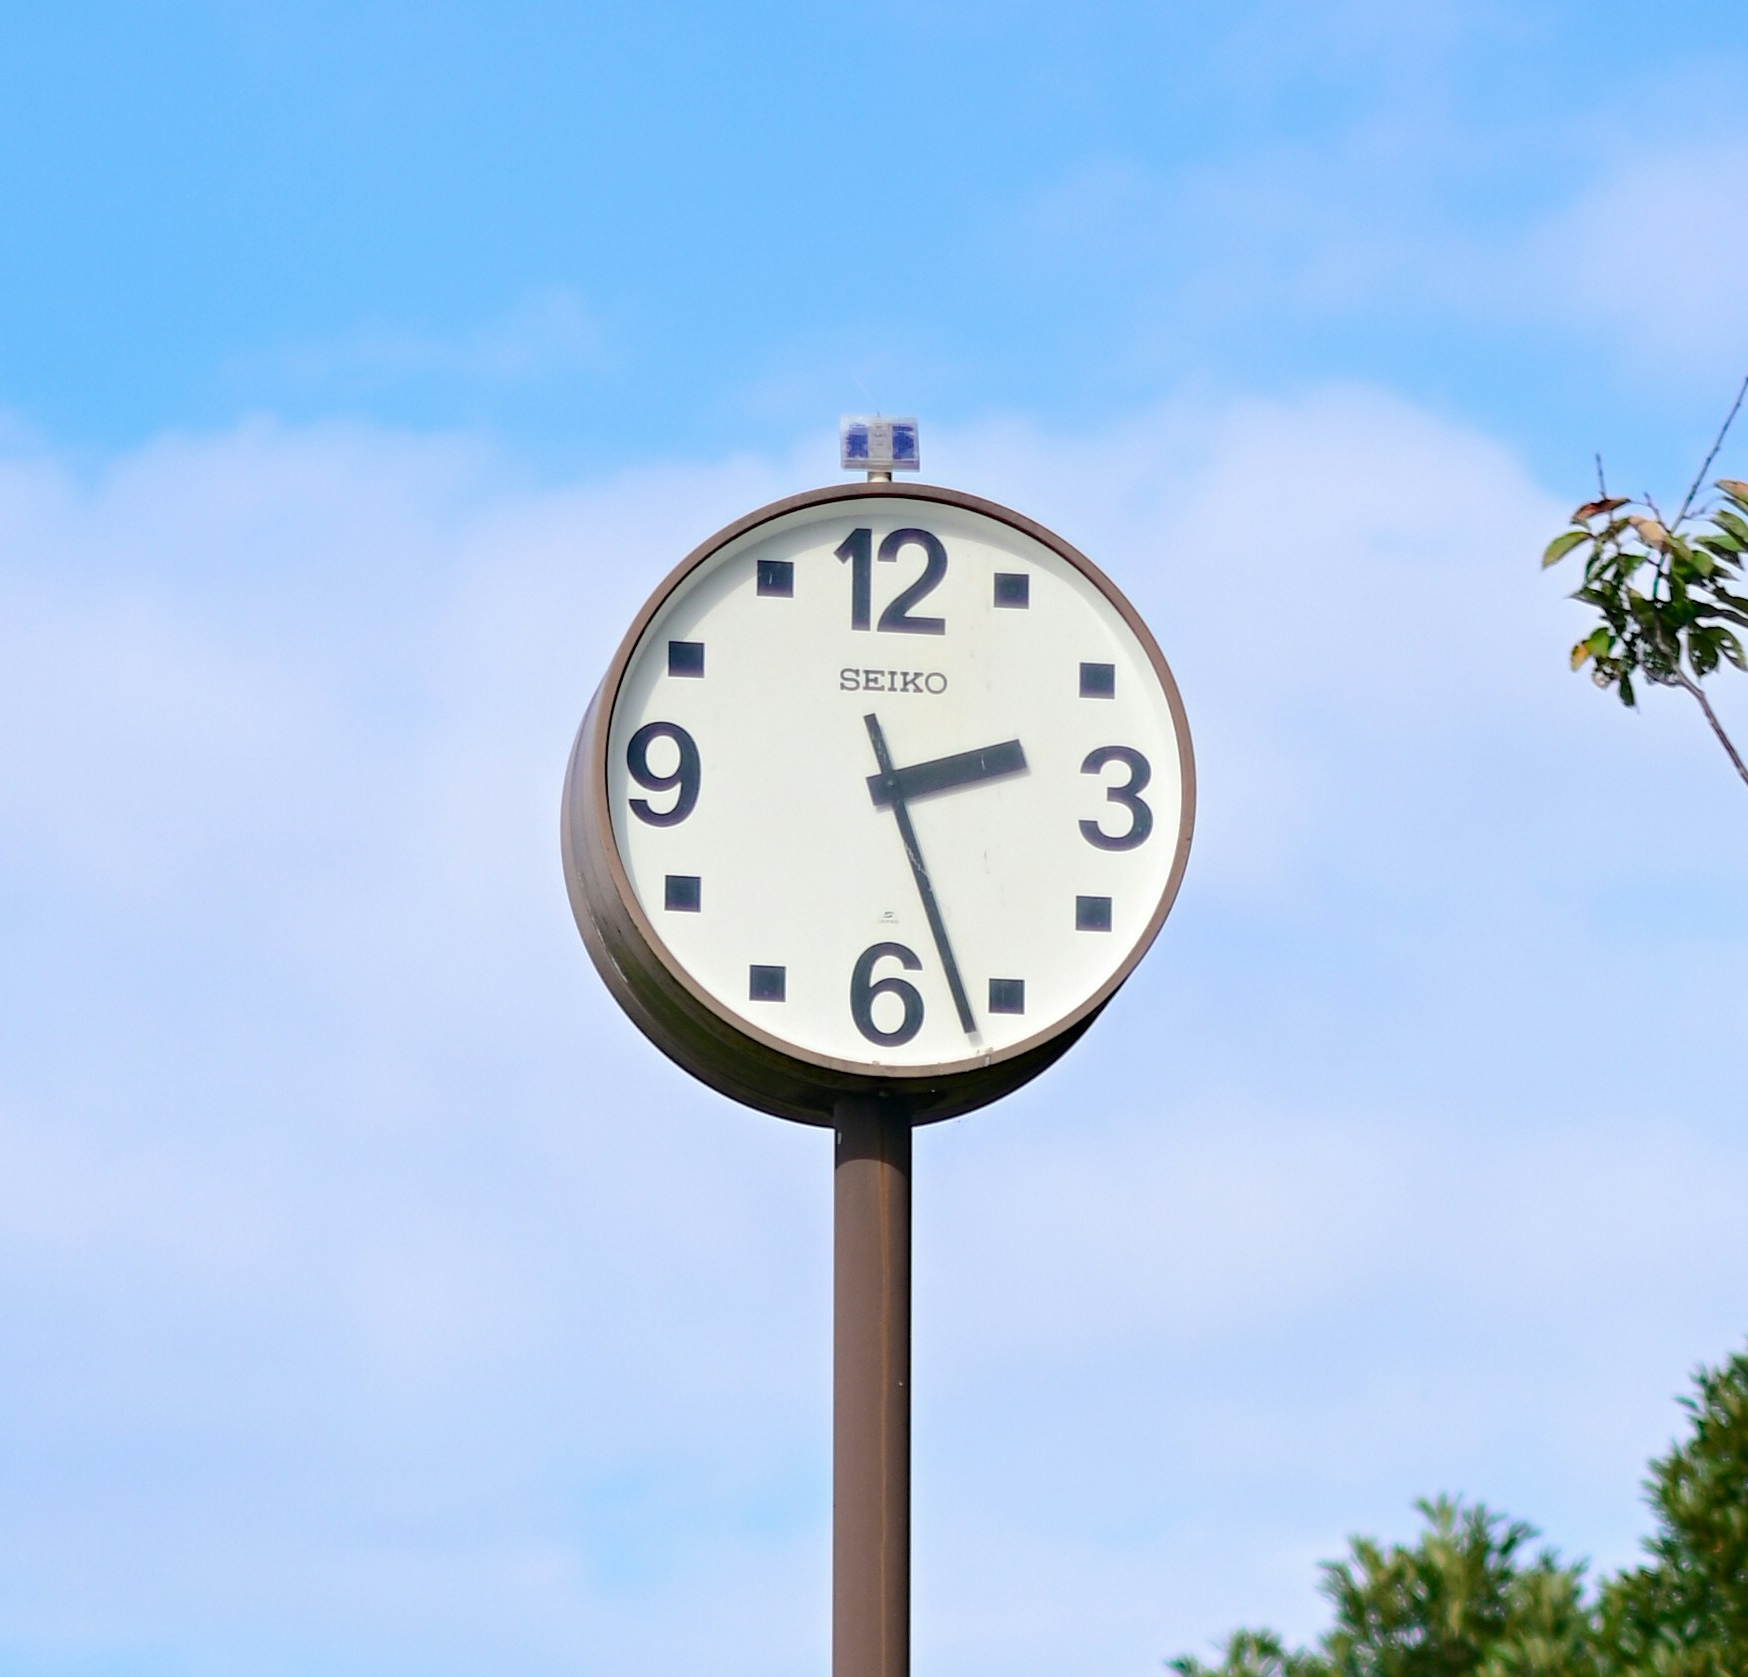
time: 2:26
